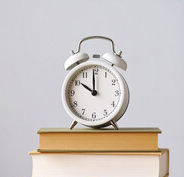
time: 9:59
